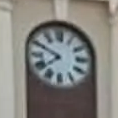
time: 7:49
